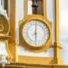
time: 6:01
